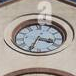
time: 3:33
